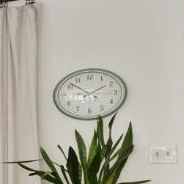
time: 1:51
